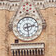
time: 2:28
